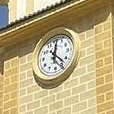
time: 12:22
